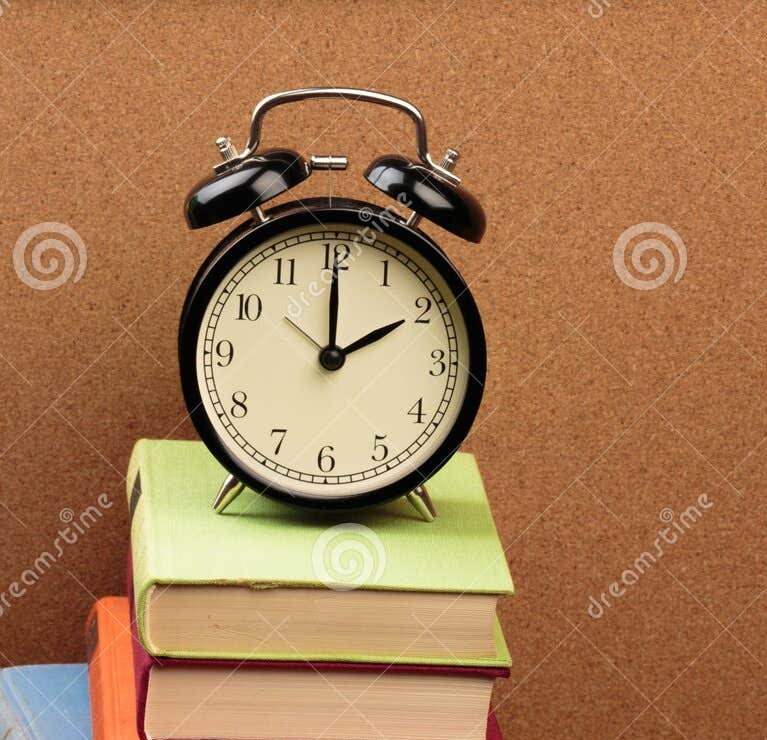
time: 2:00
